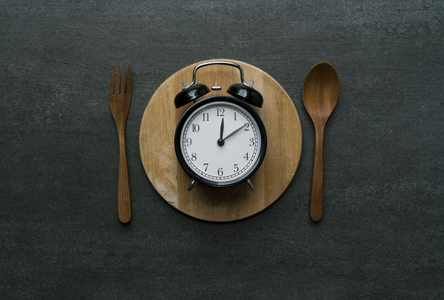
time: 12:09
